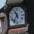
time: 11:36
